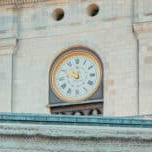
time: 11:49
